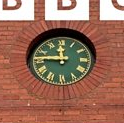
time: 11:46
